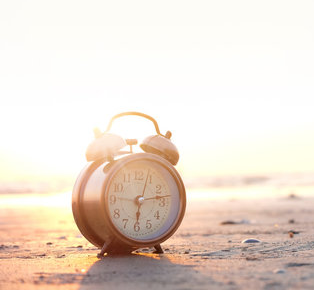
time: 6:13
